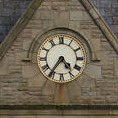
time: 4:36
